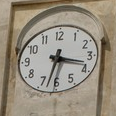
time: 3:32
